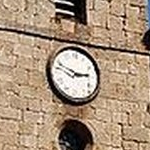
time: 2:48
